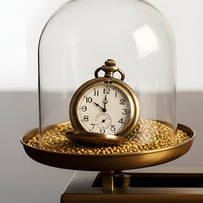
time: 10:00
